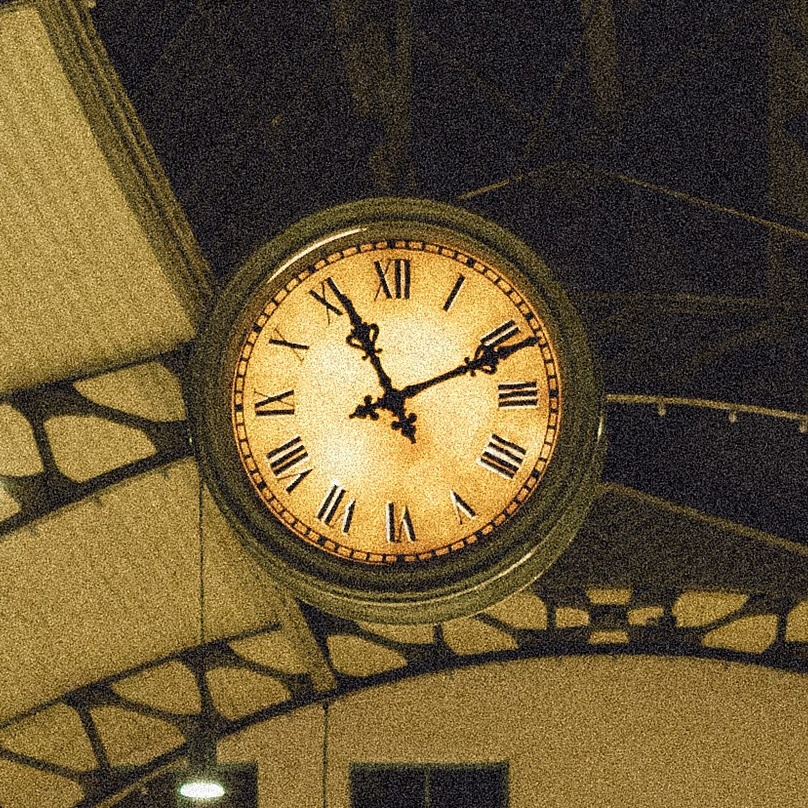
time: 11:11
